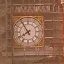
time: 7:54
